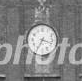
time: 3:34
